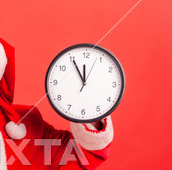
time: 11:55
